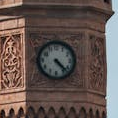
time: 4:22
